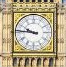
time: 9:45
